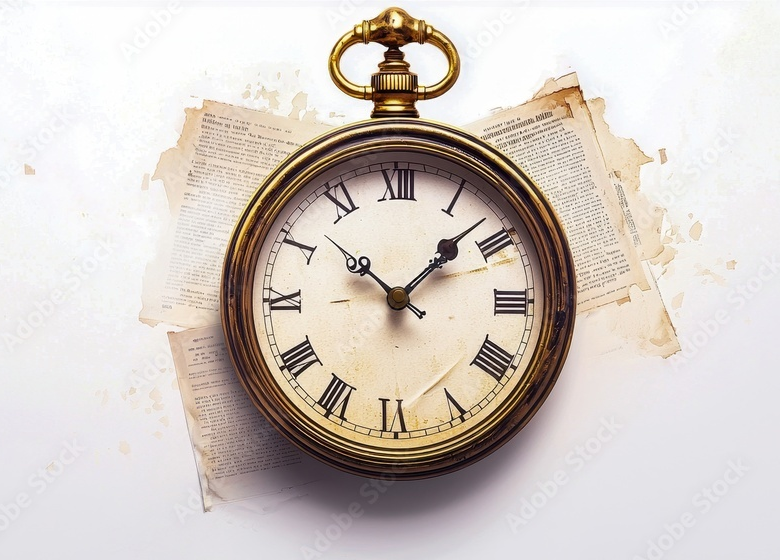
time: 10:07
